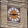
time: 2:42
